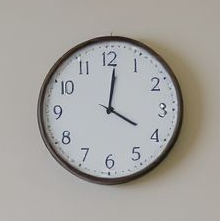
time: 4:01
